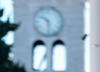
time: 10:28
